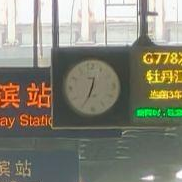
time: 12:34
